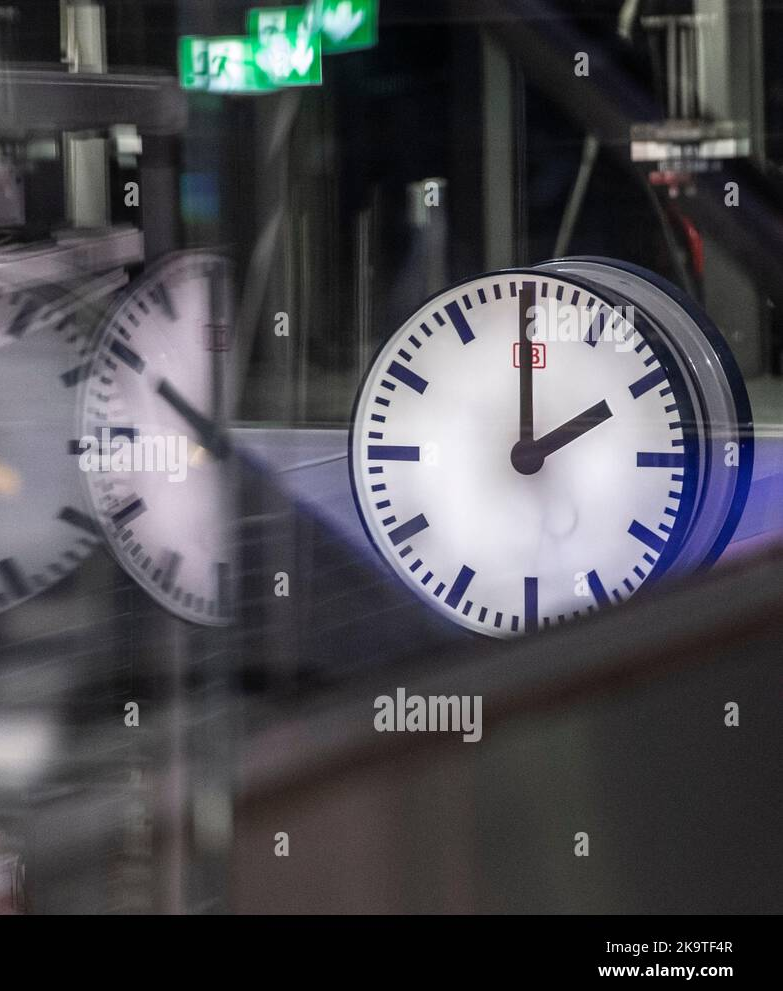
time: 1:59
